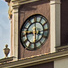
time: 5:59
